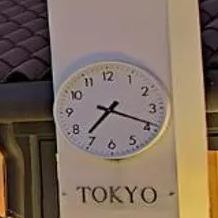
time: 7:18
